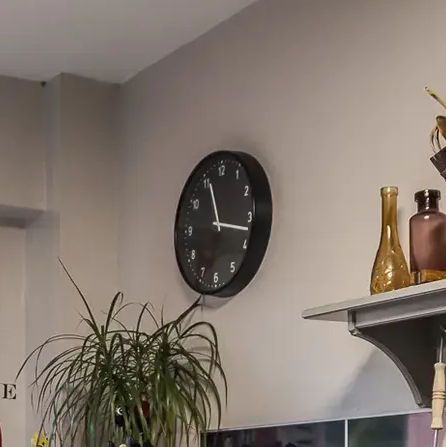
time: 11:17
